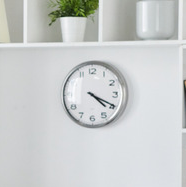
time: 4:19
